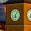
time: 6:06
